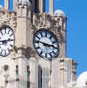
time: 2:46
